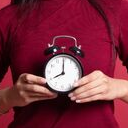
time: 8:00
